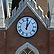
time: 1:01
